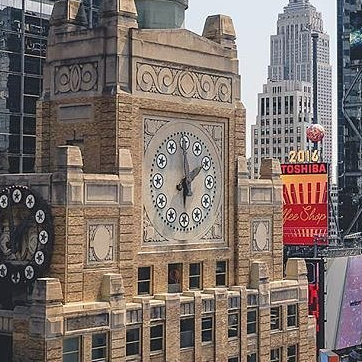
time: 5:59
